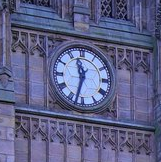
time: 11:32
